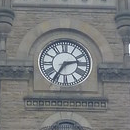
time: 2:35
